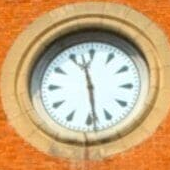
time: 11:28
